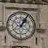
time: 1:04
